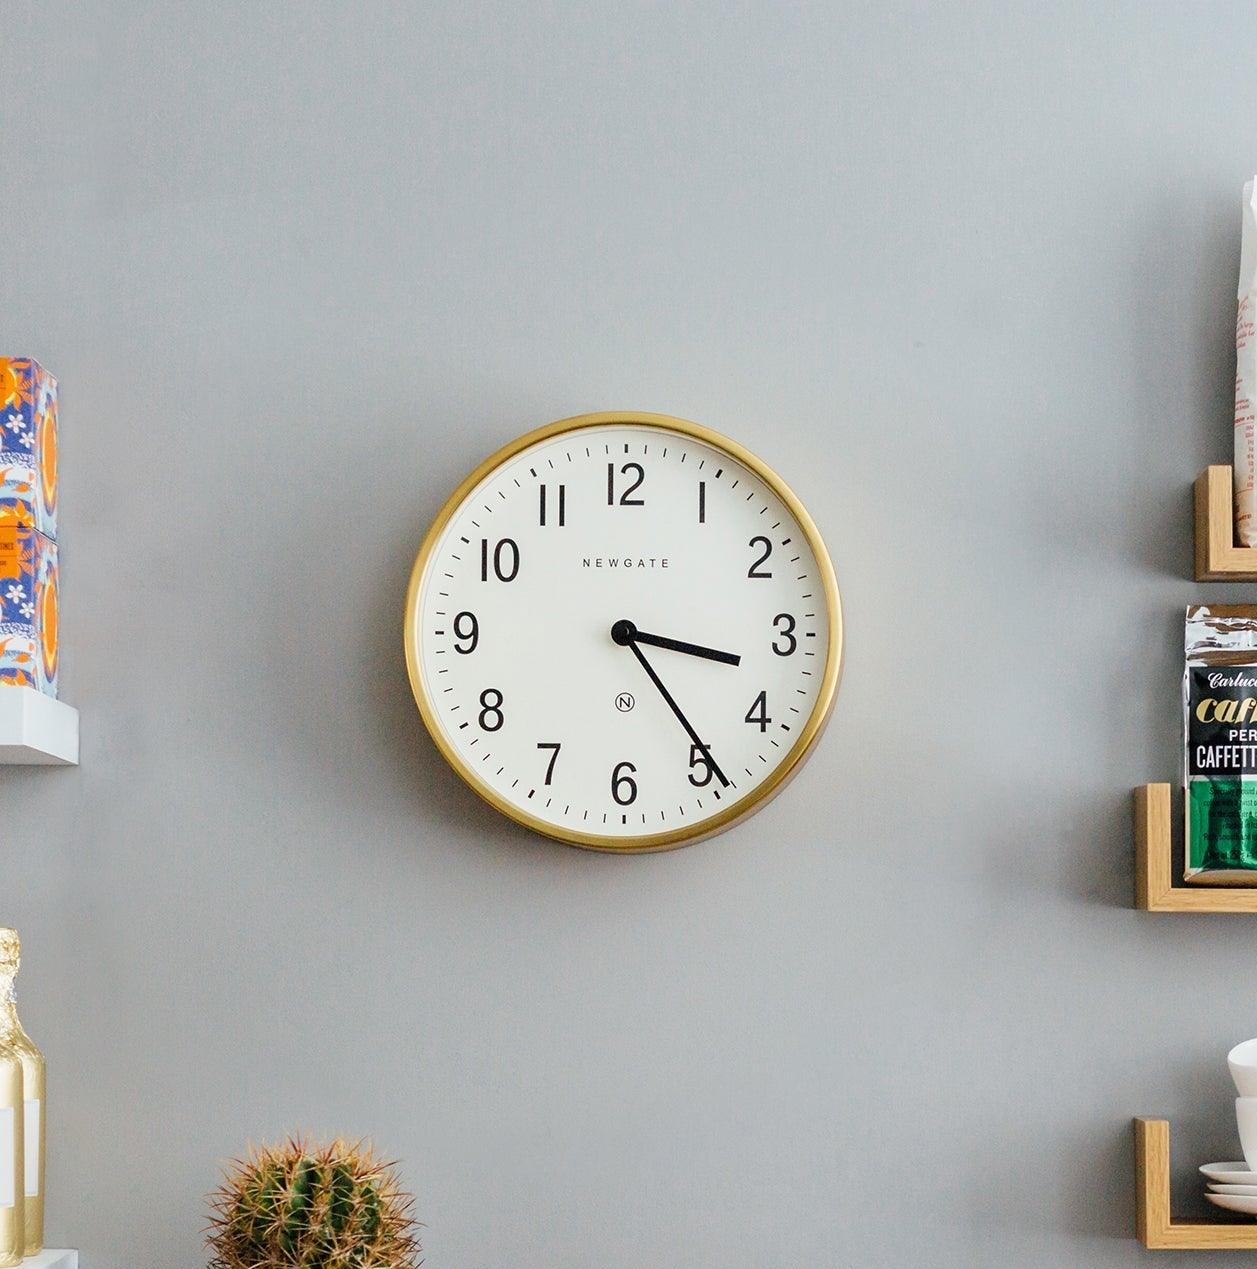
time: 3:24
